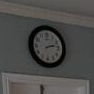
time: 2:12
